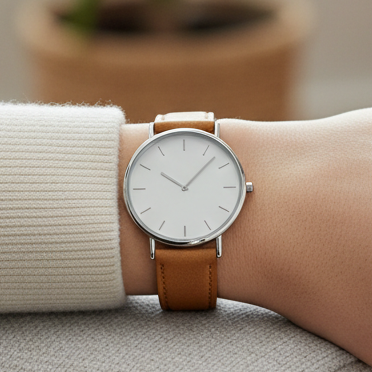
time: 10:07
